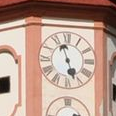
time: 4:57
